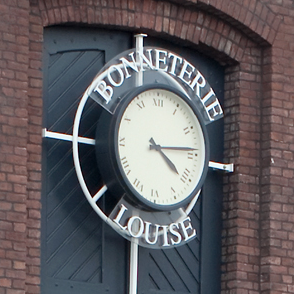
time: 4:14
